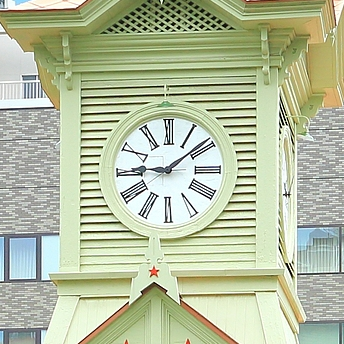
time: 9:08
